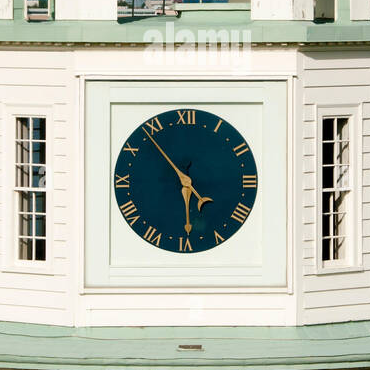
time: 5:53
